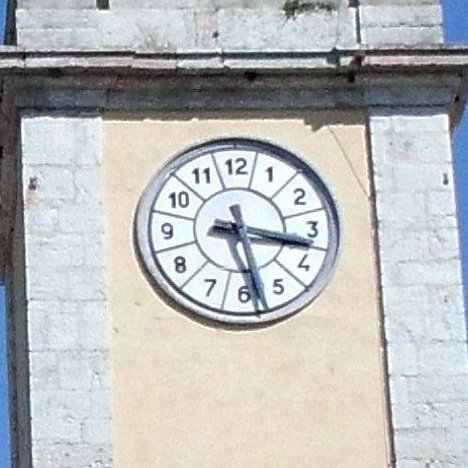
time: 3:28
